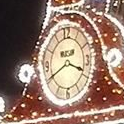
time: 3:40
